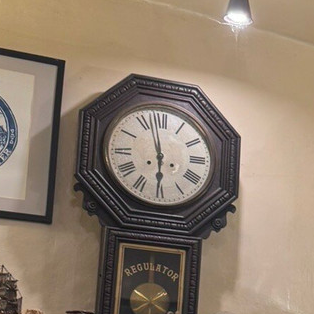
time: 5:57
